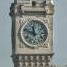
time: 11:48
